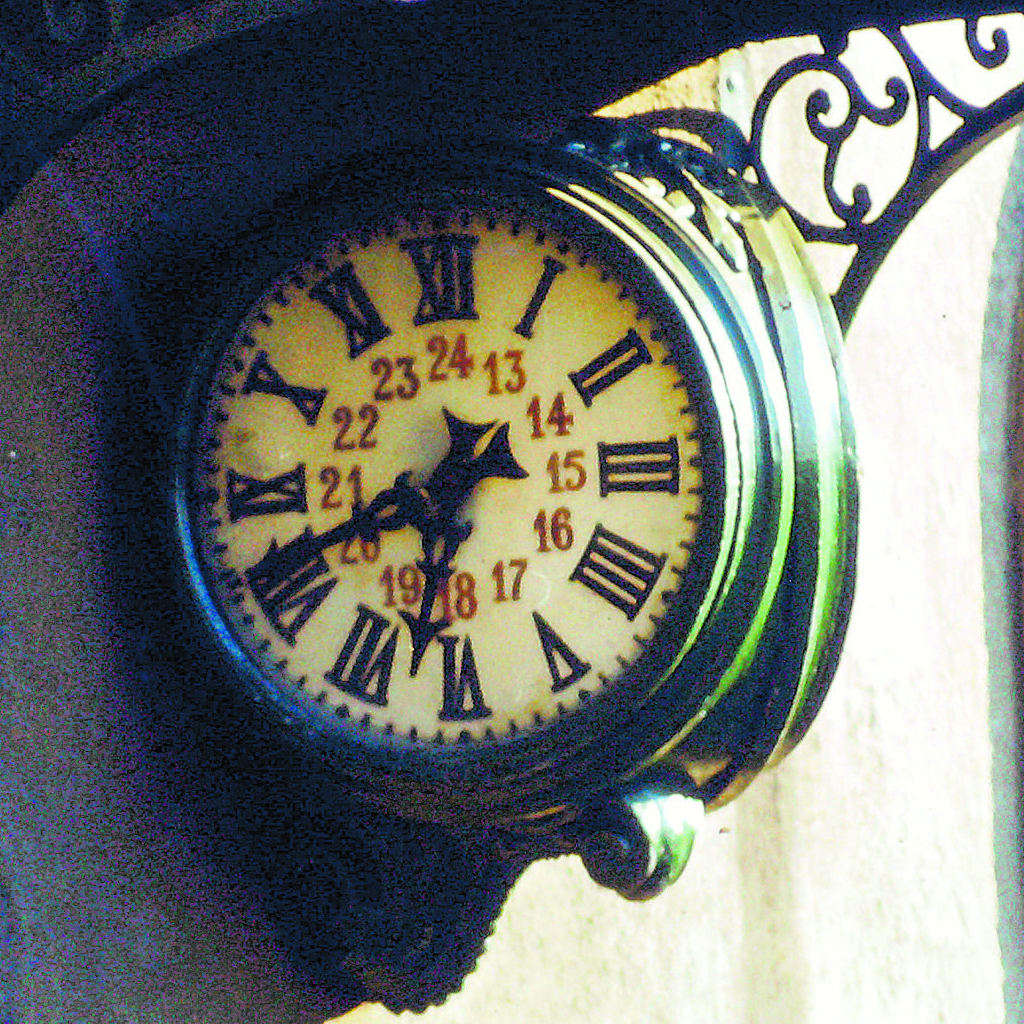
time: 6:41
